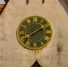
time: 1:39
